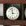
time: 2:58
